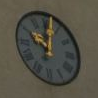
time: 10:02
